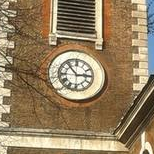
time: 2:53
